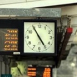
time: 4:54
